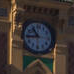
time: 10:43
